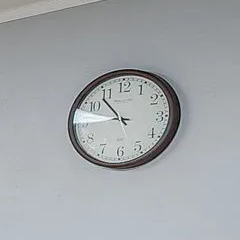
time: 10:45
